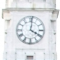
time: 4:01
